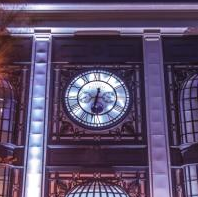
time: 6:32
